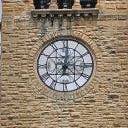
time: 7:01
